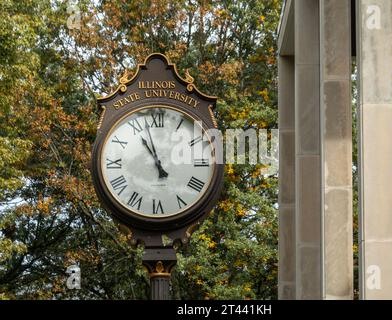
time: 10:57
